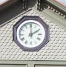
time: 2:00
